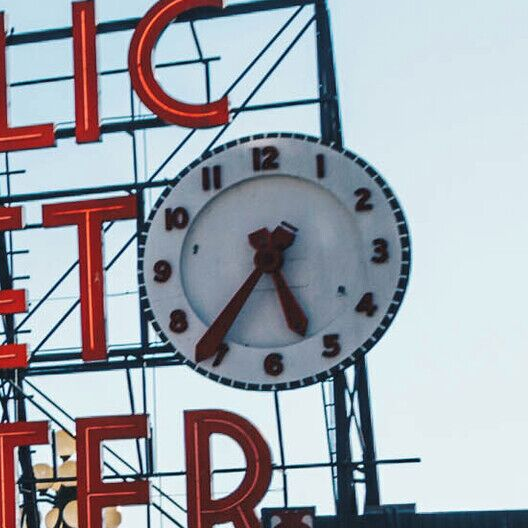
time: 5:36
